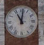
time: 11:01
